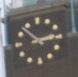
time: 2:52
